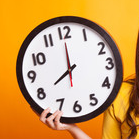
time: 7:59
